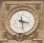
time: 3:28
